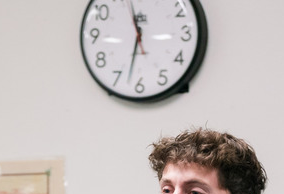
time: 11:32
